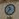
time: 11:37
